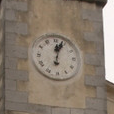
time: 12:03
